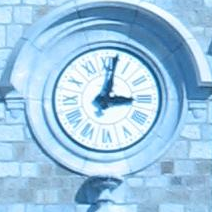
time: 3:02
